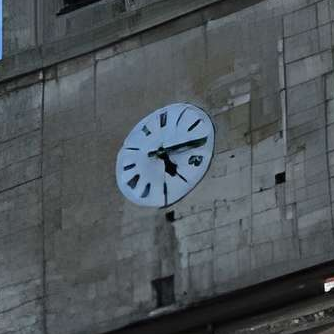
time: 5:15
